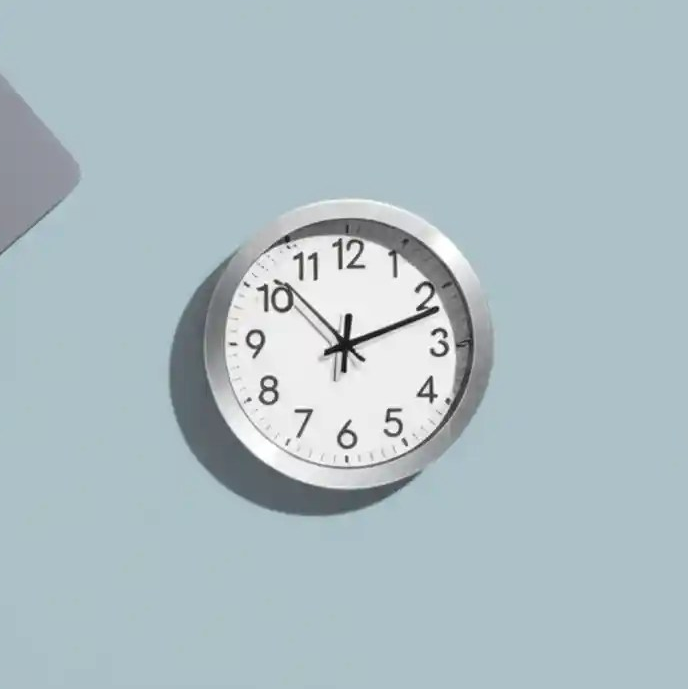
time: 12:11
